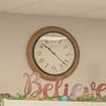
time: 10:22
